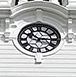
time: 10:15
